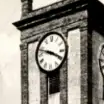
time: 3:47
